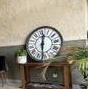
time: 12:30
